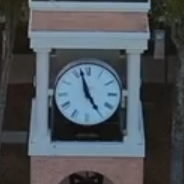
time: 4:57
